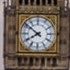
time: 7:51
